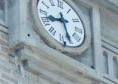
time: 8:27
